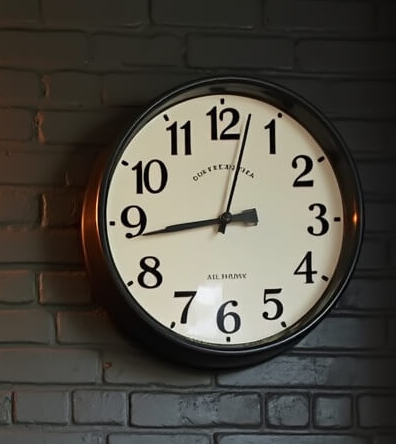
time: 8:43
